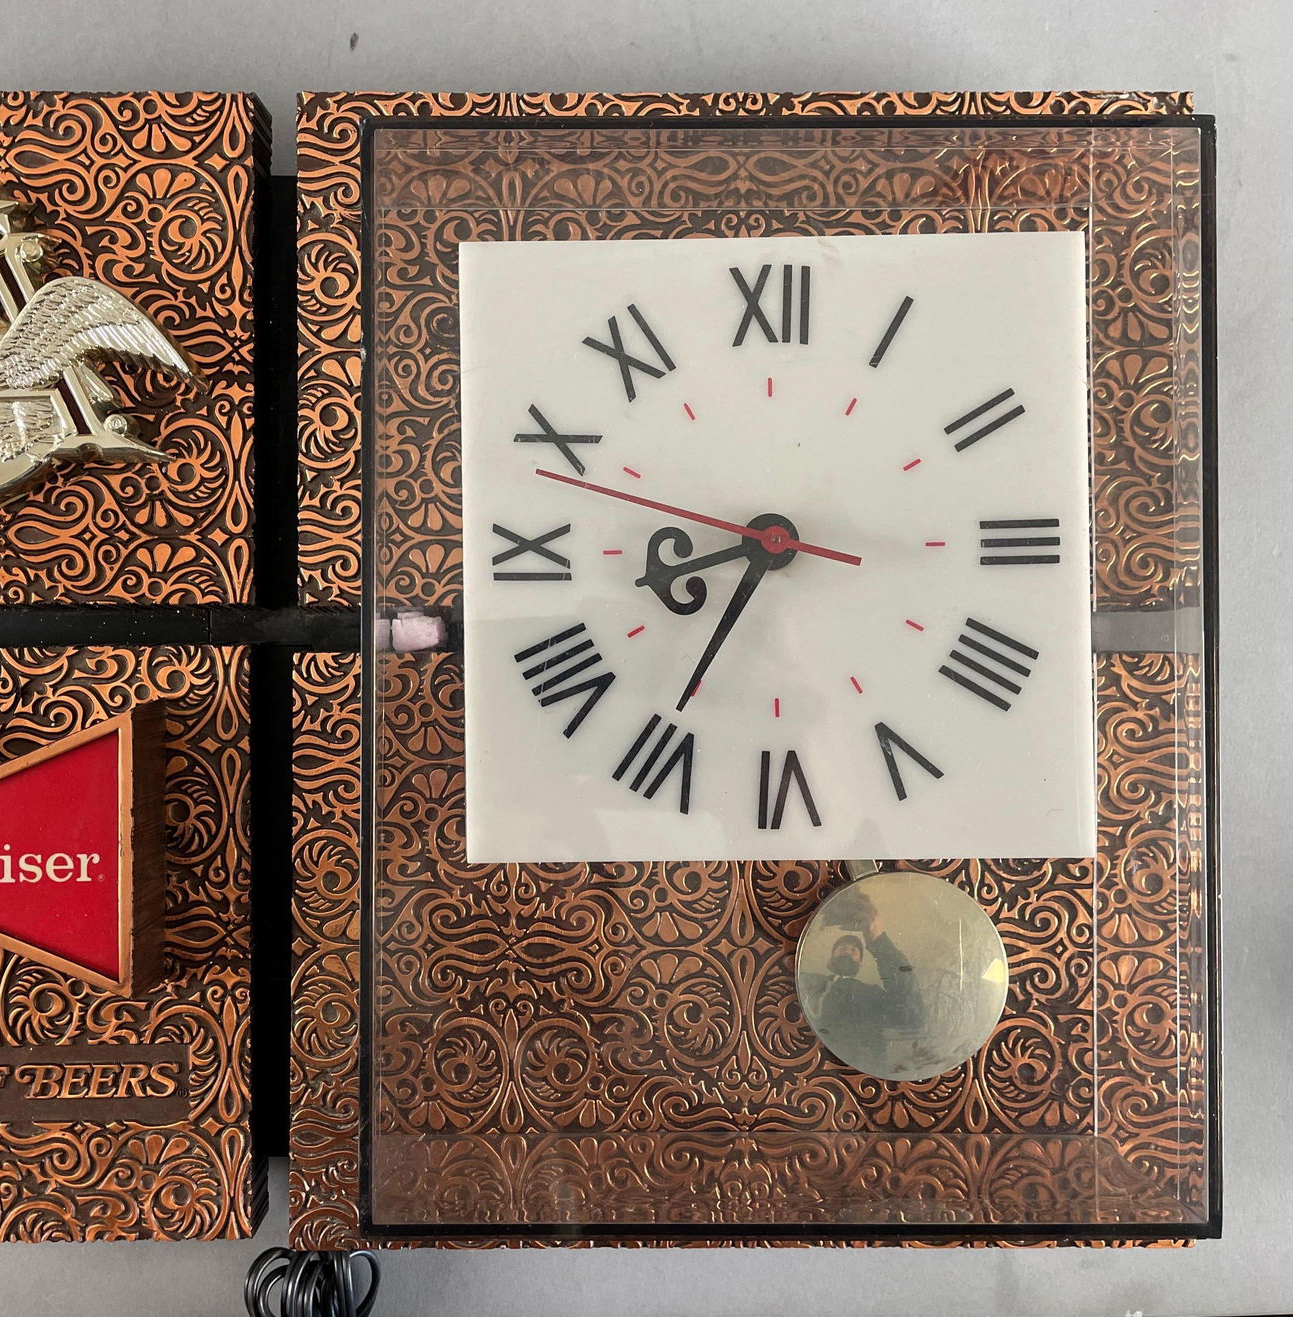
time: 8:35
